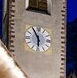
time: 5:54
